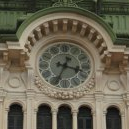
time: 3:34
